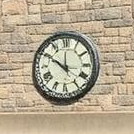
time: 11:50
